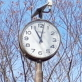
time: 11:02
